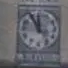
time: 11:55
